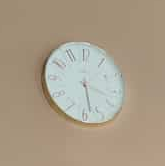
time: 3:28
